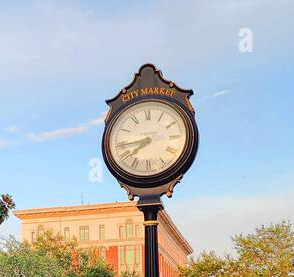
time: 7:44
